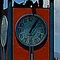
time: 1:05
